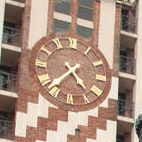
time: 4:37
